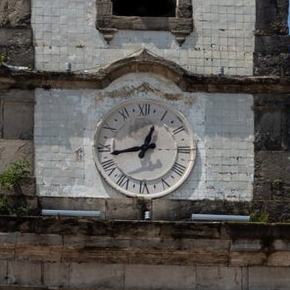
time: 12:43
